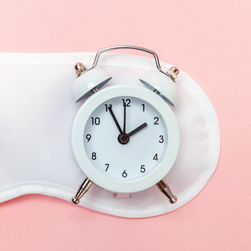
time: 1:55
